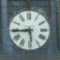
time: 5:44
